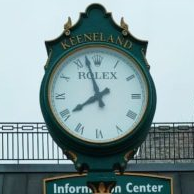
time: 7:57
